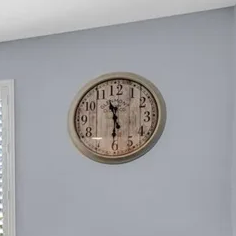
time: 11:30
